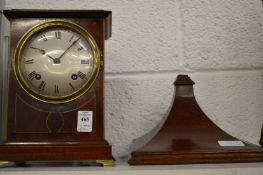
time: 10:07
